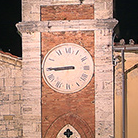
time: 8:44
